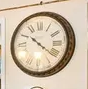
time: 10:21
